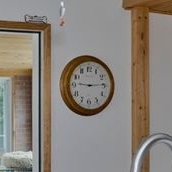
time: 9:14
